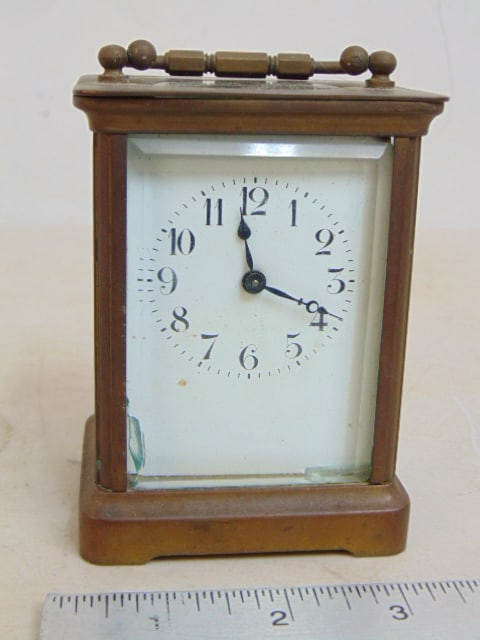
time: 3:58
